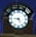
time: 9:25
